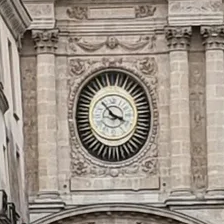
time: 3:52
